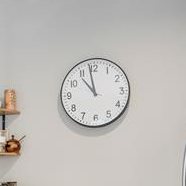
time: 10:58
